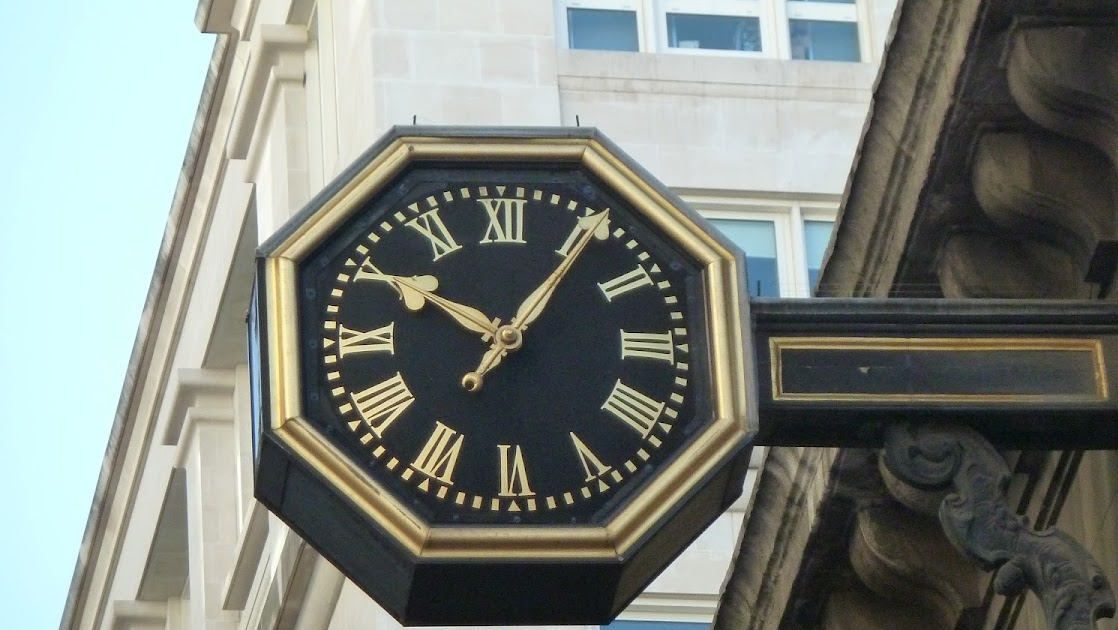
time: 10:05
